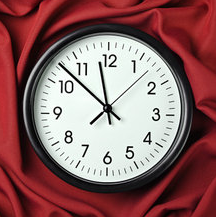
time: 11:52
